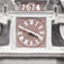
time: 3:48
